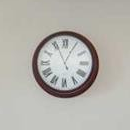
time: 12:56
